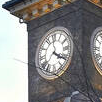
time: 4:20
